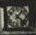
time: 1:22
